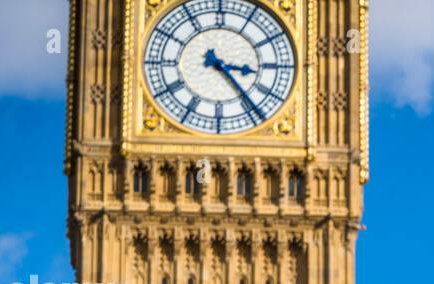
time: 3:23
